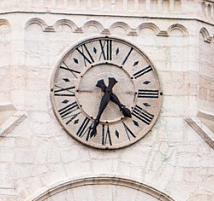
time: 4:34
